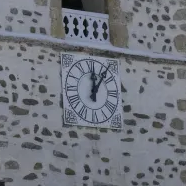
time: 12:06
